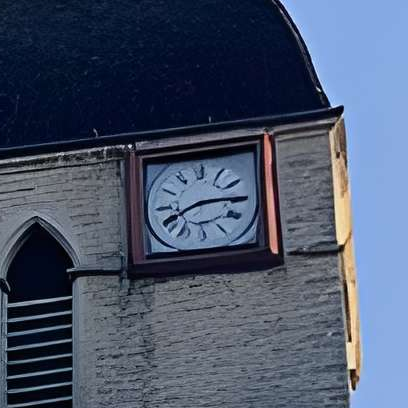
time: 8:15
